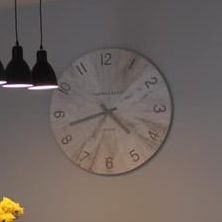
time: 4:42
